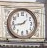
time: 1:43
